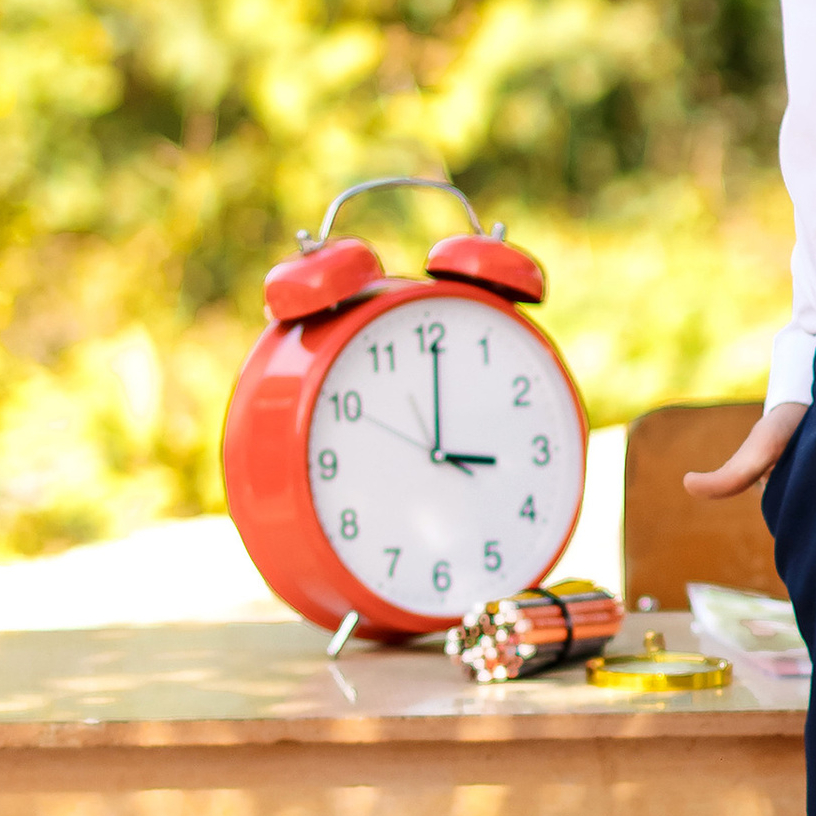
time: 3:00
